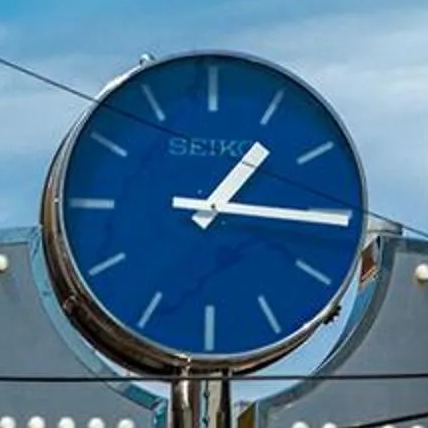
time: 1:15
